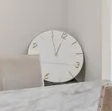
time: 11:55
